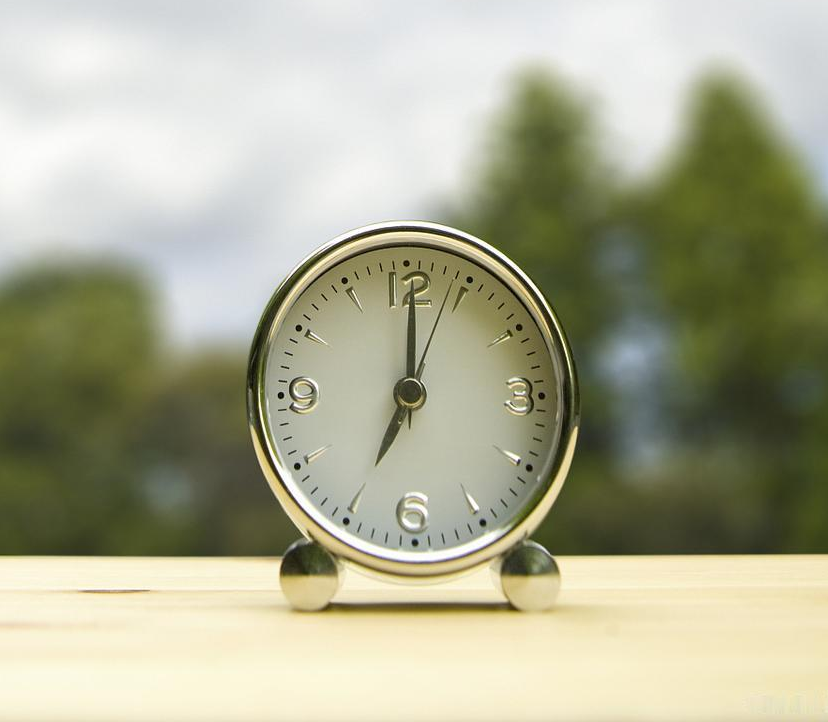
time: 7:00
